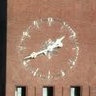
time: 1:41
